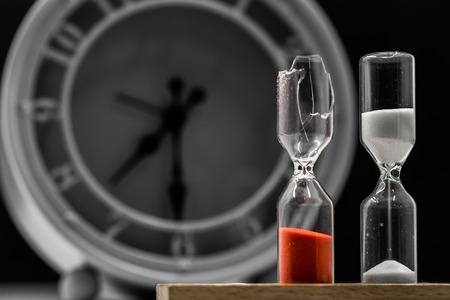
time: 7:30
